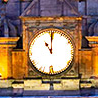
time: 11:00
